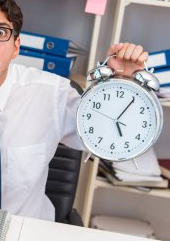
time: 5:05
